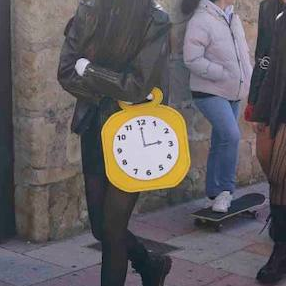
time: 2:59
